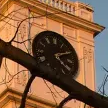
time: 4:10
